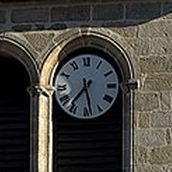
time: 7:28
